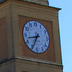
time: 8:34
